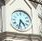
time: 4:32
